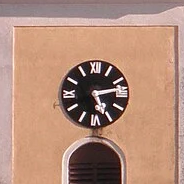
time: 5:13
